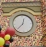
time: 12:37
